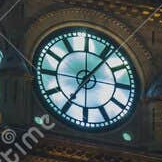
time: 7:07
